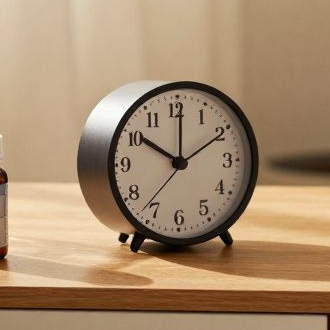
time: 10:00
